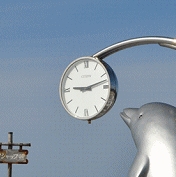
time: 9:12
